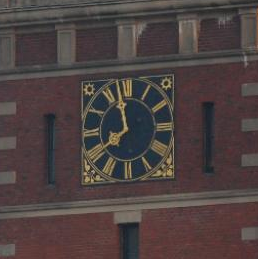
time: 7:58
